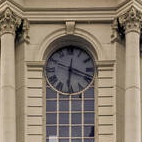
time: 6:18
